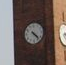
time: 4:22
